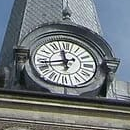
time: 11:42
